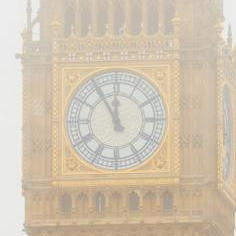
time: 11:55
